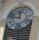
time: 11:46
